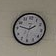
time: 1:46
